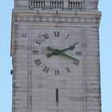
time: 2:18
